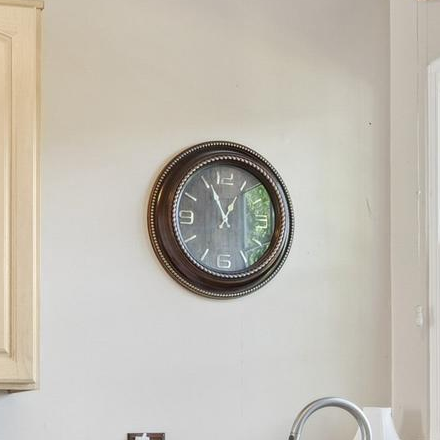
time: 12:55
